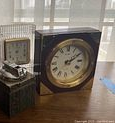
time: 2:09
